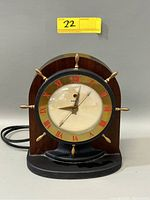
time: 9:01
